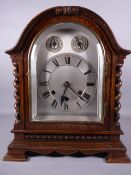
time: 6:21
